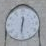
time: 6:31
